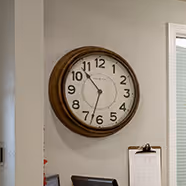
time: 10:32
